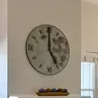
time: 4:59
